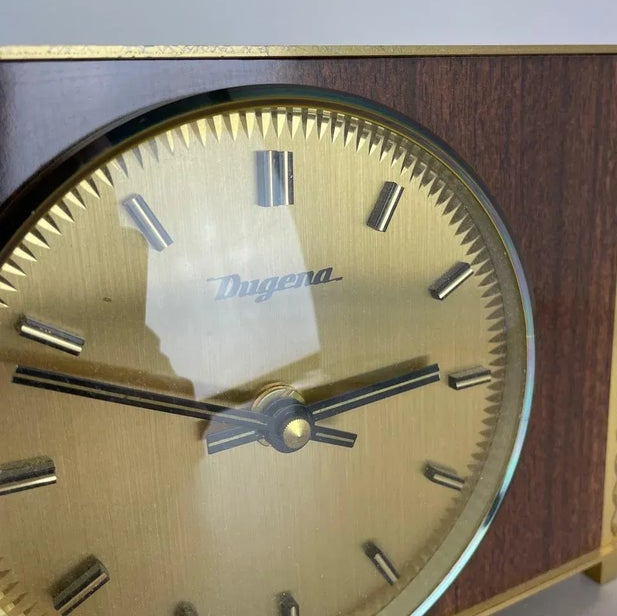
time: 2:48
